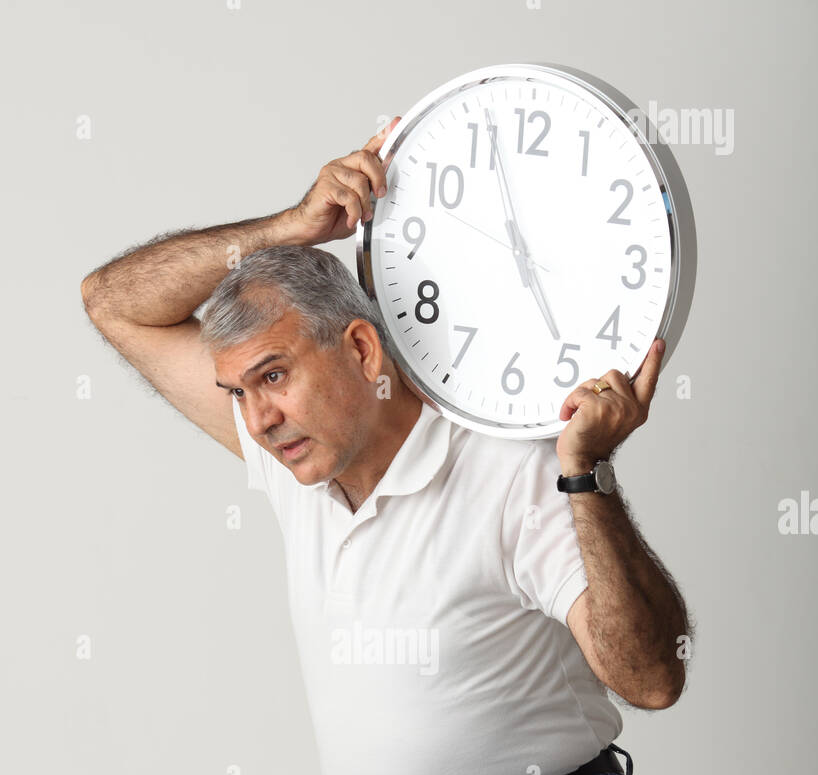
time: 4:56
